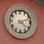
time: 4:12
